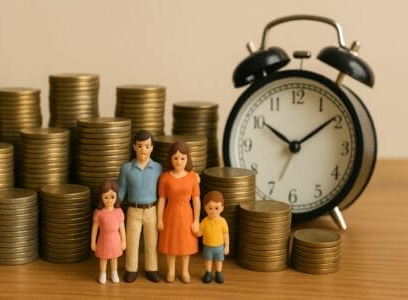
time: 10:09
